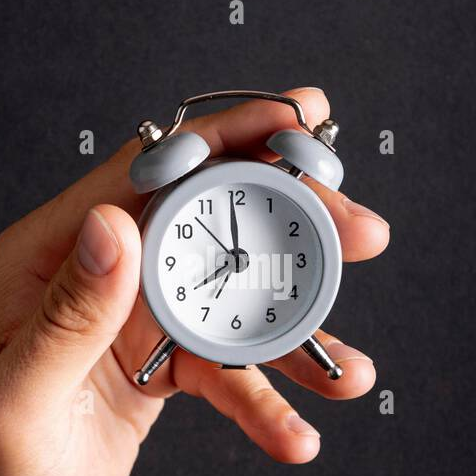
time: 7:59
